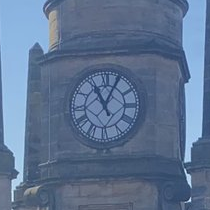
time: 11:04
